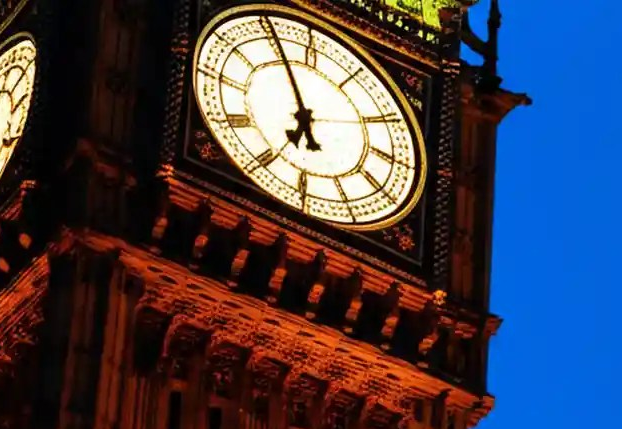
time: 6:55
